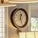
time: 12:26
